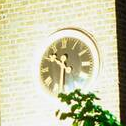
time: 10:30
